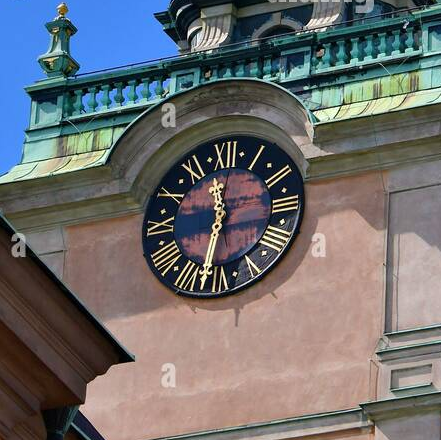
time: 11:32
